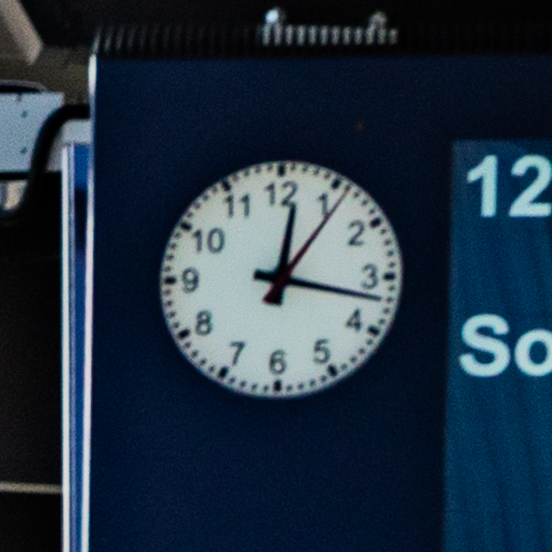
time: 12:17
